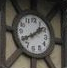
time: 1:39
